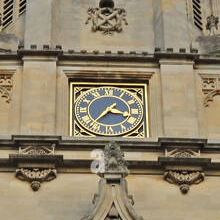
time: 3:36
